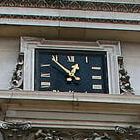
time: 12:53
